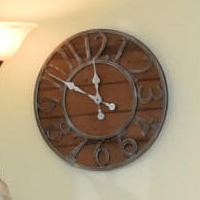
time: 11:49
